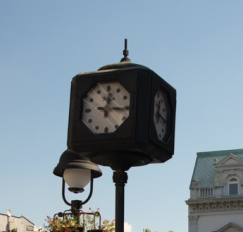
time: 12:16
